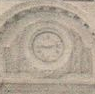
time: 9:12
